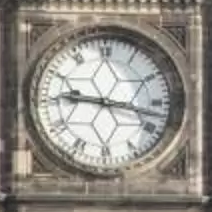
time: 9:17
